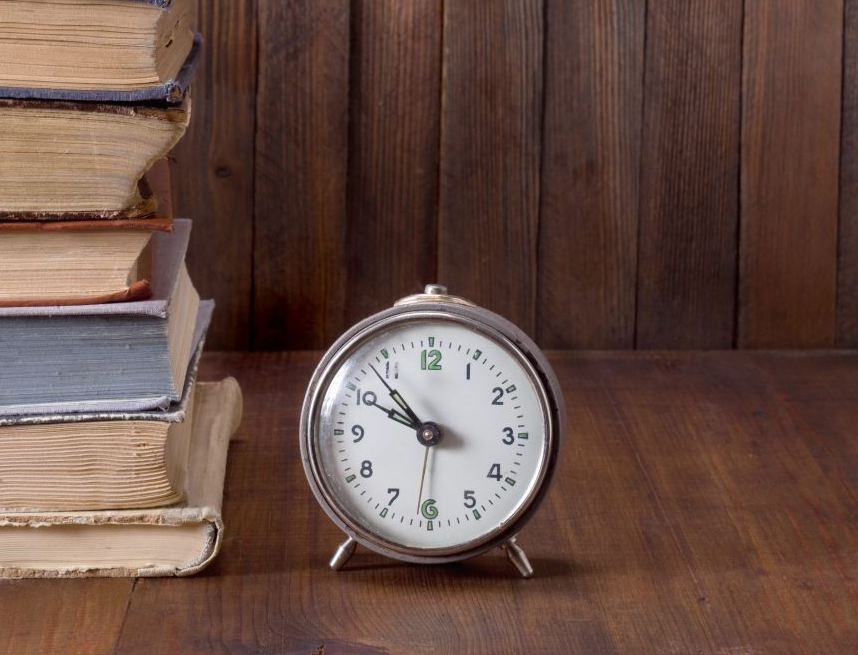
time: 9:53
